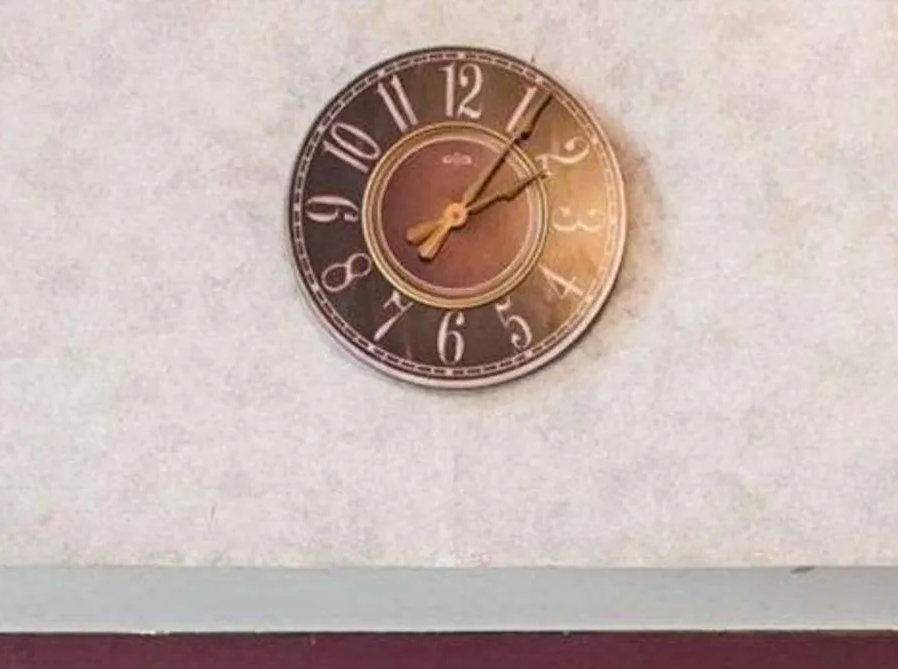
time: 2:06
